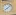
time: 8:07
